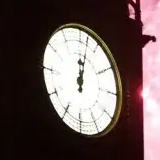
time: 12:02
